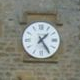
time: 1:24
